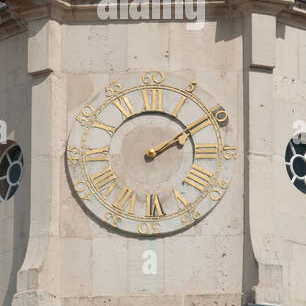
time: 2:09
